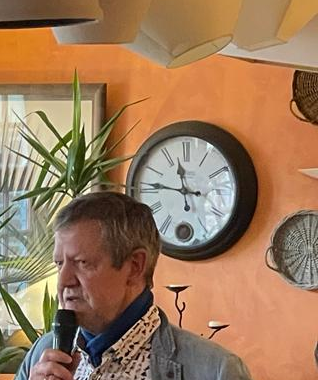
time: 11:46
